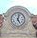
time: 5:02
